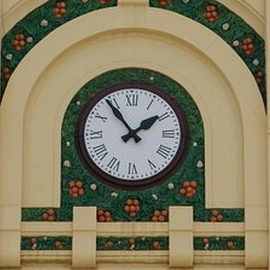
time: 1:54
